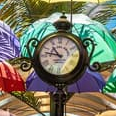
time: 10:47
